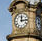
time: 12:14
